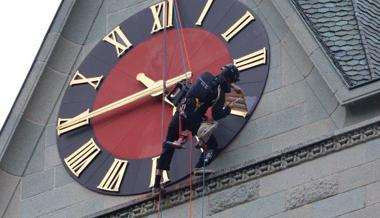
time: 4:44
